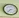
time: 7:37
